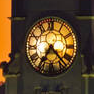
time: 7:22
